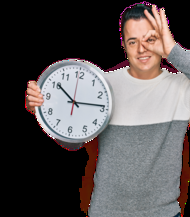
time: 10:13
